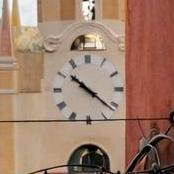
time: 10:21
